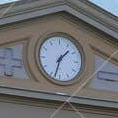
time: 1:32
